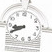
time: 8:40
